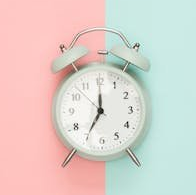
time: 7:00
